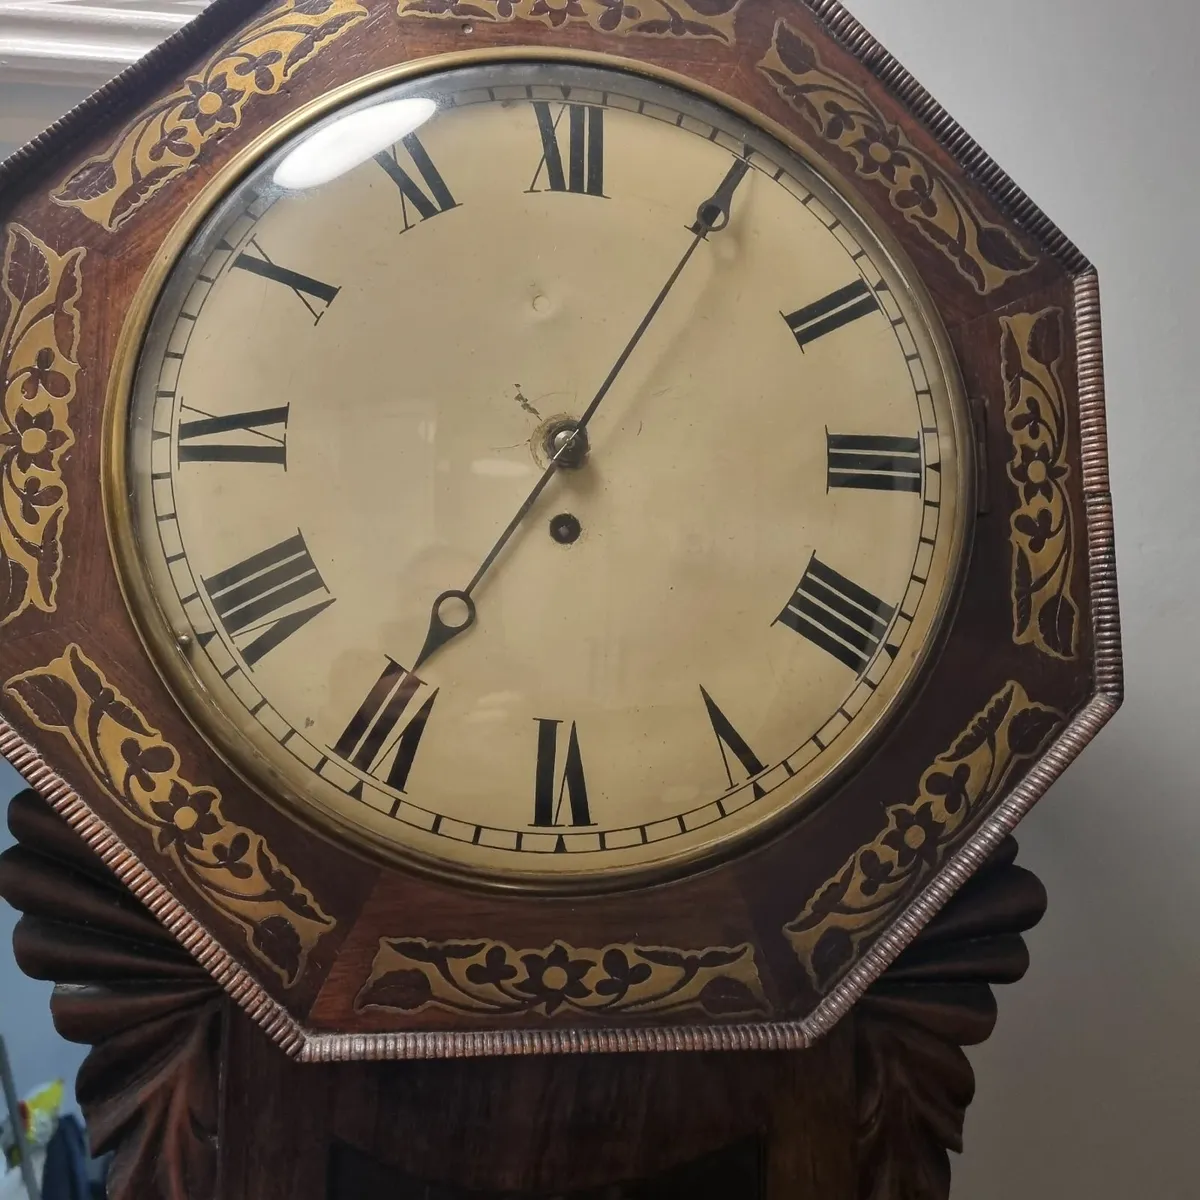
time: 7:05
